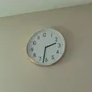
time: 2:32
